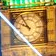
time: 9:54
